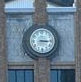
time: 3:15
